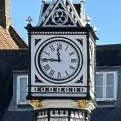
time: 11:45
